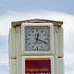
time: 12:18
